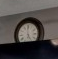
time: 4:59
